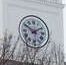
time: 1:50
